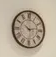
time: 10:13
